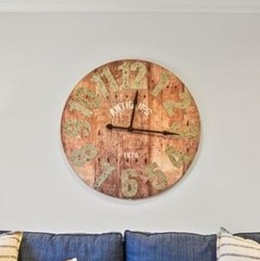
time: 12:16
